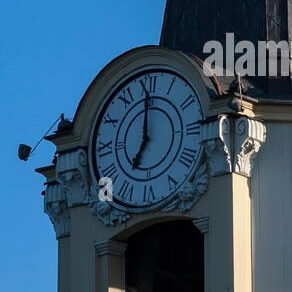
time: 7:00
